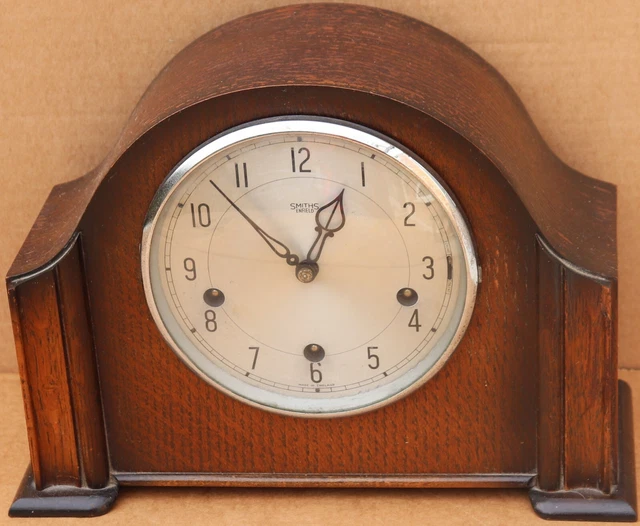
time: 12:52
